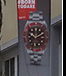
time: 1:50
